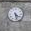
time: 4:27
